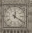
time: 12:20
